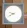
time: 9:40
